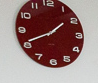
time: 1:41
